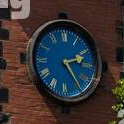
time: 2:24
